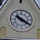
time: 10:20
